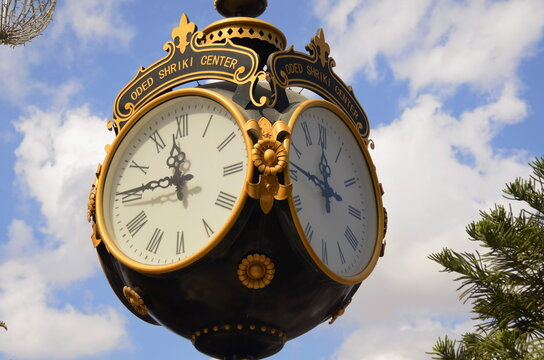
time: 11:45
